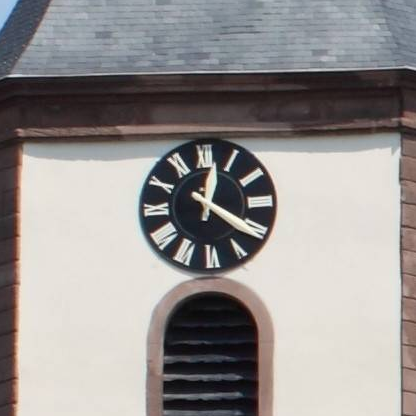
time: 12:20
